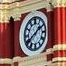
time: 1:39
